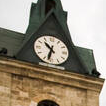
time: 10:32
